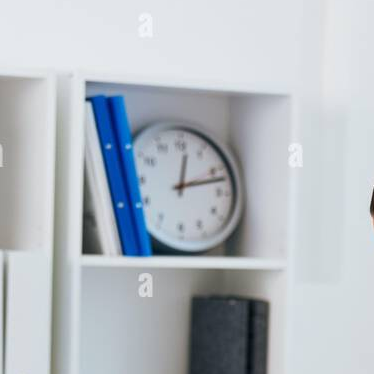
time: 12:12
